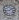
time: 1:43
